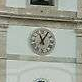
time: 11:05
